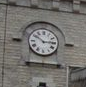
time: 10:14
